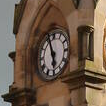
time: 5:57
